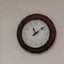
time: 11:09
